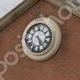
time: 5:24
